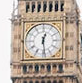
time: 12:28
